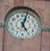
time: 5:03
